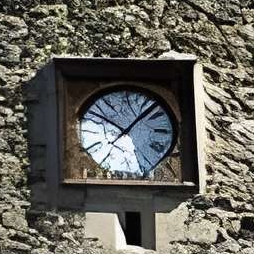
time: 10:07
